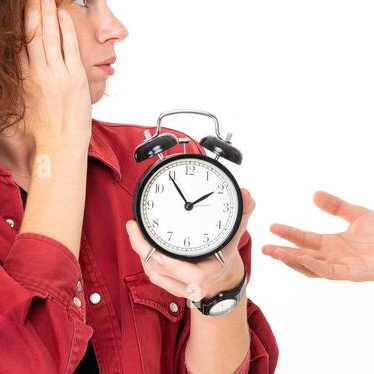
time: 1:54
